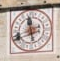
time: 11:41
